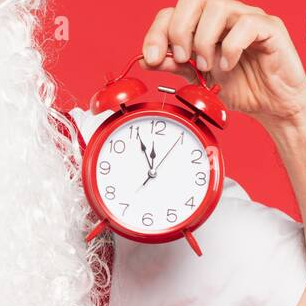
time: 11:55
